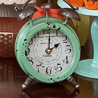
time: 2:01
